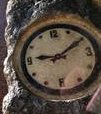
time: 9:10
